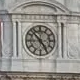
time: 4:52
